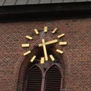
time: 2:28
